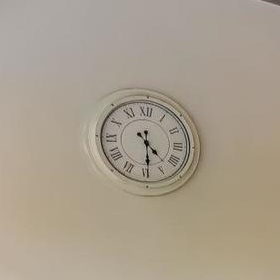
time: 4:29
